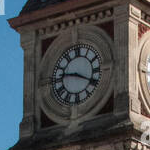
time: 9:19
